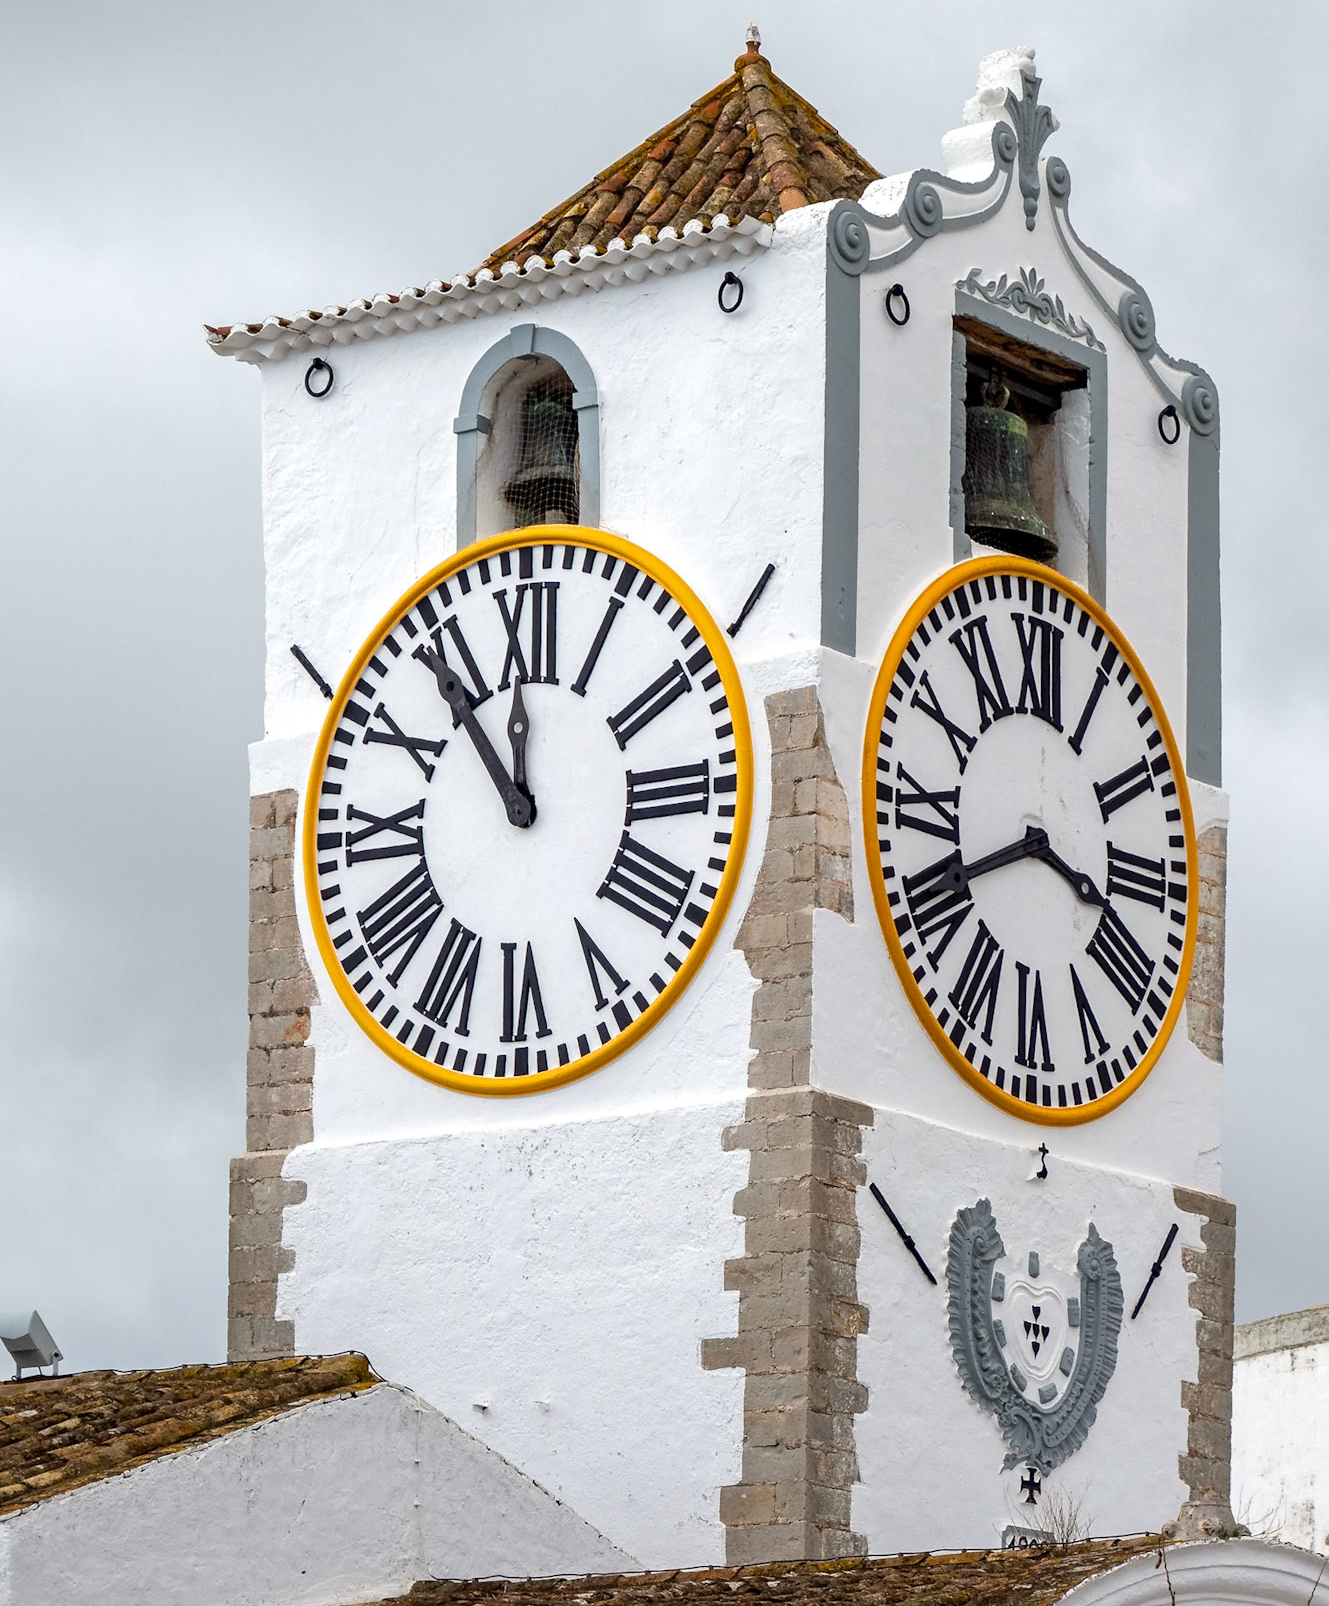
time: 11:53
